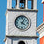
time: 4:04
